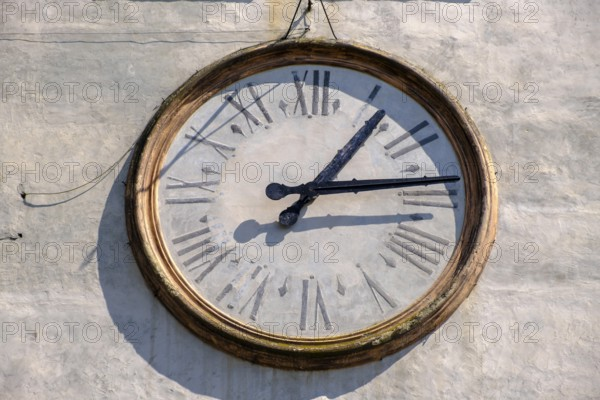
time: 1:13
